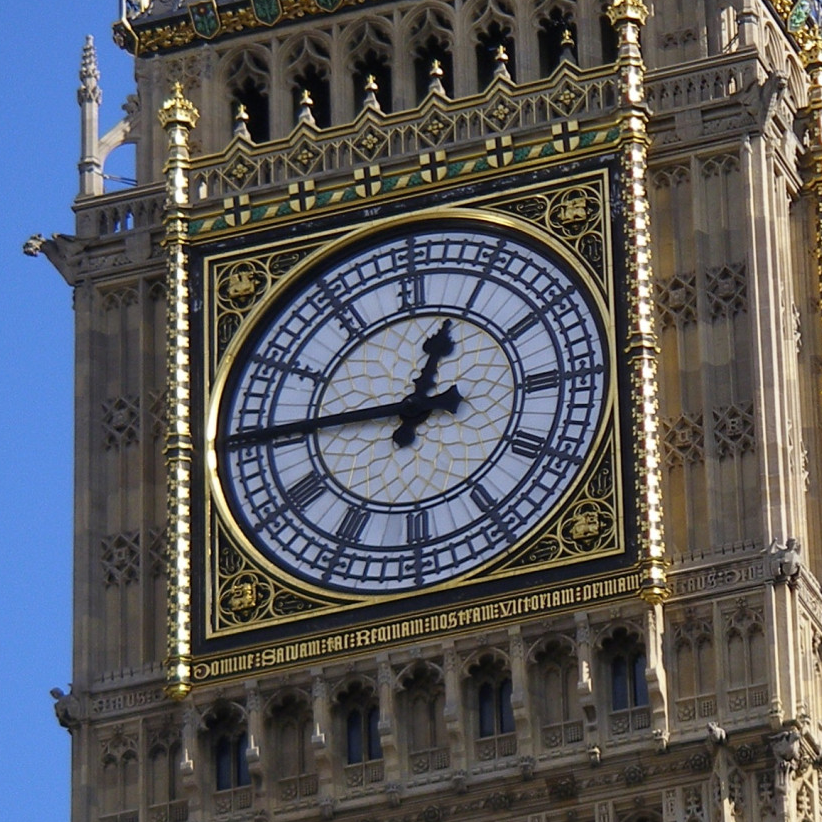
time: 12:45
